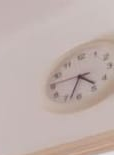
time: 4:33
